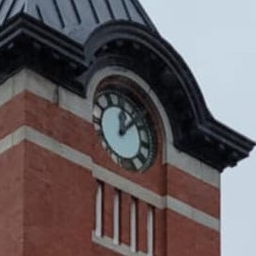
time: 12:07
